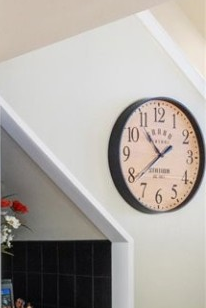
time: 10:38
